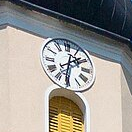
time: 1:31
